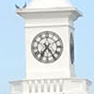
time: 7:24
